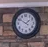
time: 1:50
